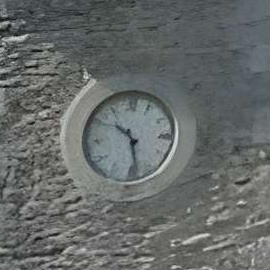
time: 10:28
